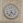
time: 4:33
